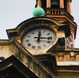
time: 12:16
